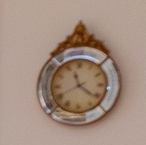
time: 11:21
